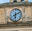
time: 6:10
